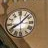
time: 8:07
